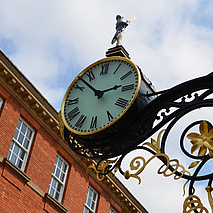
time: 2:52
